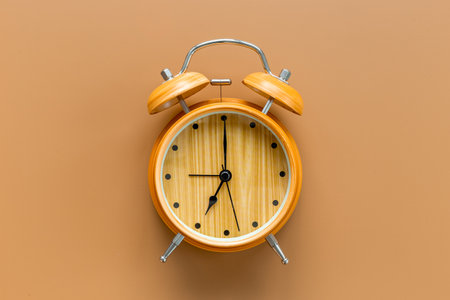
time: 7:00
